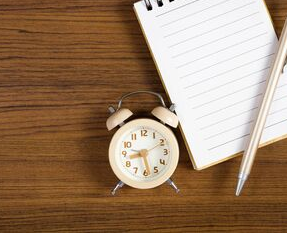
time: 8:28
